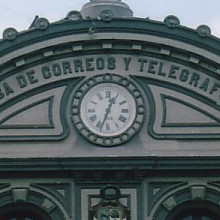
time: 12:33
